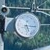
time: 5:14
